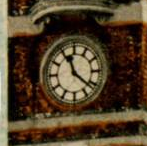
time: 11:21
